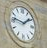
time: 1:46
